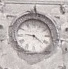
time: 9:22
